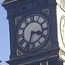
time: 3:33
